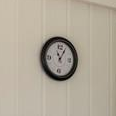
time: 11:05
